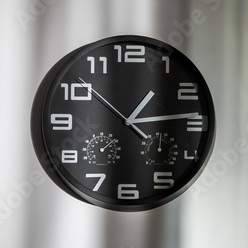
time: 1:13
